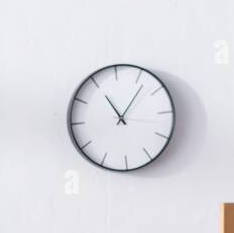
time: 11:06
